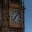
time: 7:07
